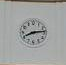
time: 8:13
